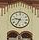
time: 9:34
